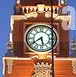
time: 5:38
